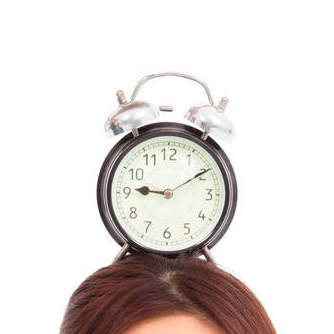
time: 9:09
